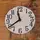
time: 11:39
